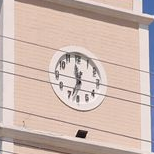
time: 11:33
